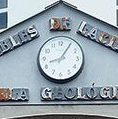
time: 8:05
